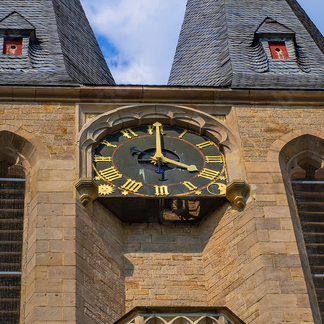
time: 4:00
